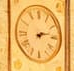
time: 2:12
